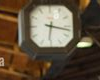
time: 6:17
